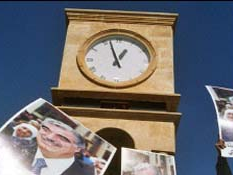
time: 12:57
